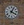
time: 4:04
